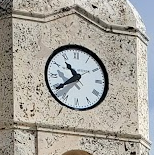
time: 10:39
